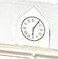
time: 6:06
